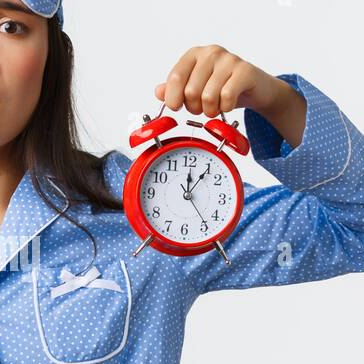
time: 12:06
